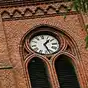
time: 1:26
